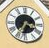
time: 3:35
